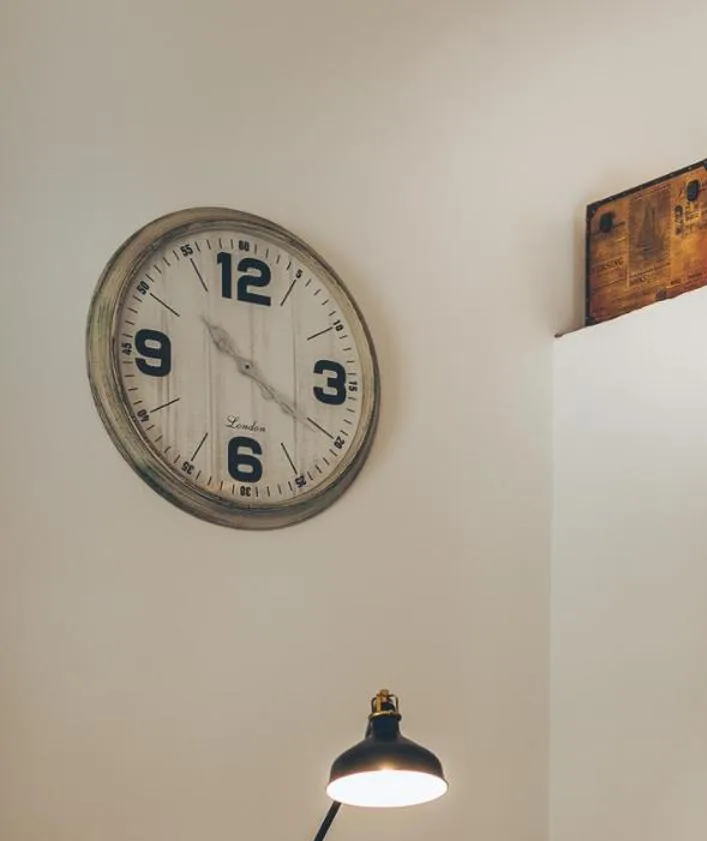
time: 10:20
